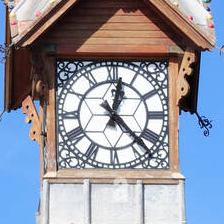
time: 12:22
